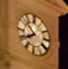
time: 7:51
